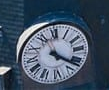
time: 4:21
